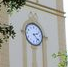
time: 2:21
